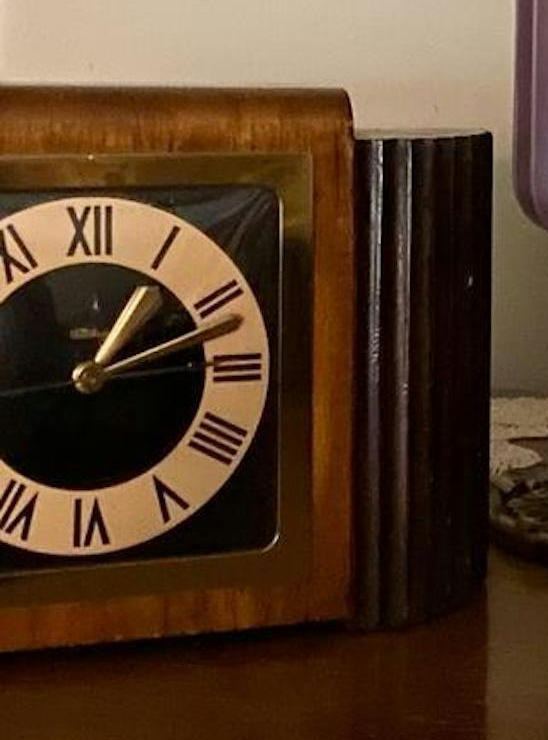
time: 1:11
